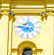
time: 4:46
